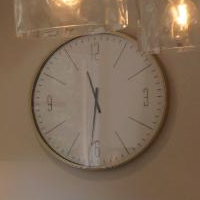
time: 11:31
